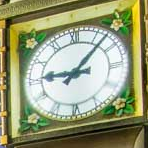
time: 9:07
